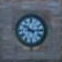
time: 10:14
